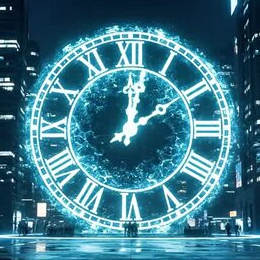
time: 12:09
